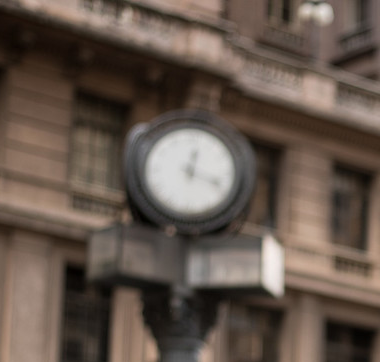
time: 12:18
